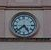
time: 4:38
